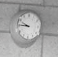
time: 9:45
